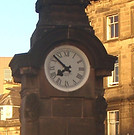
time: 7:52
